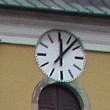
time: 12:07
